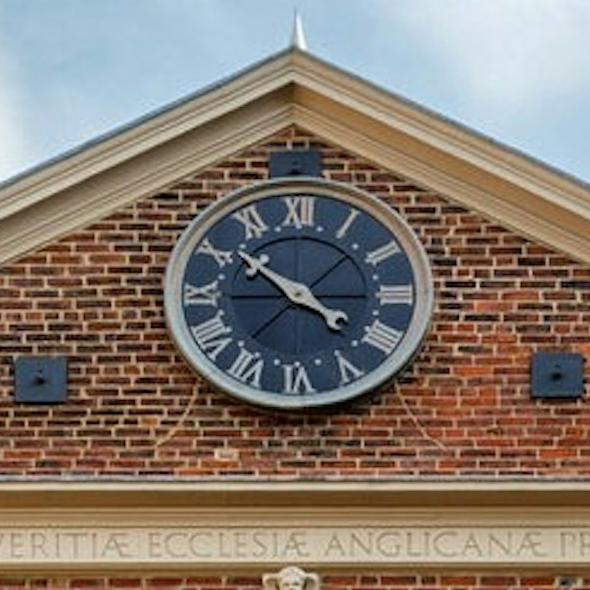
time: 3:51
